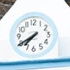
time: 7:40
